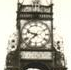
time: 9:37
